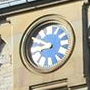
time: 8:49
